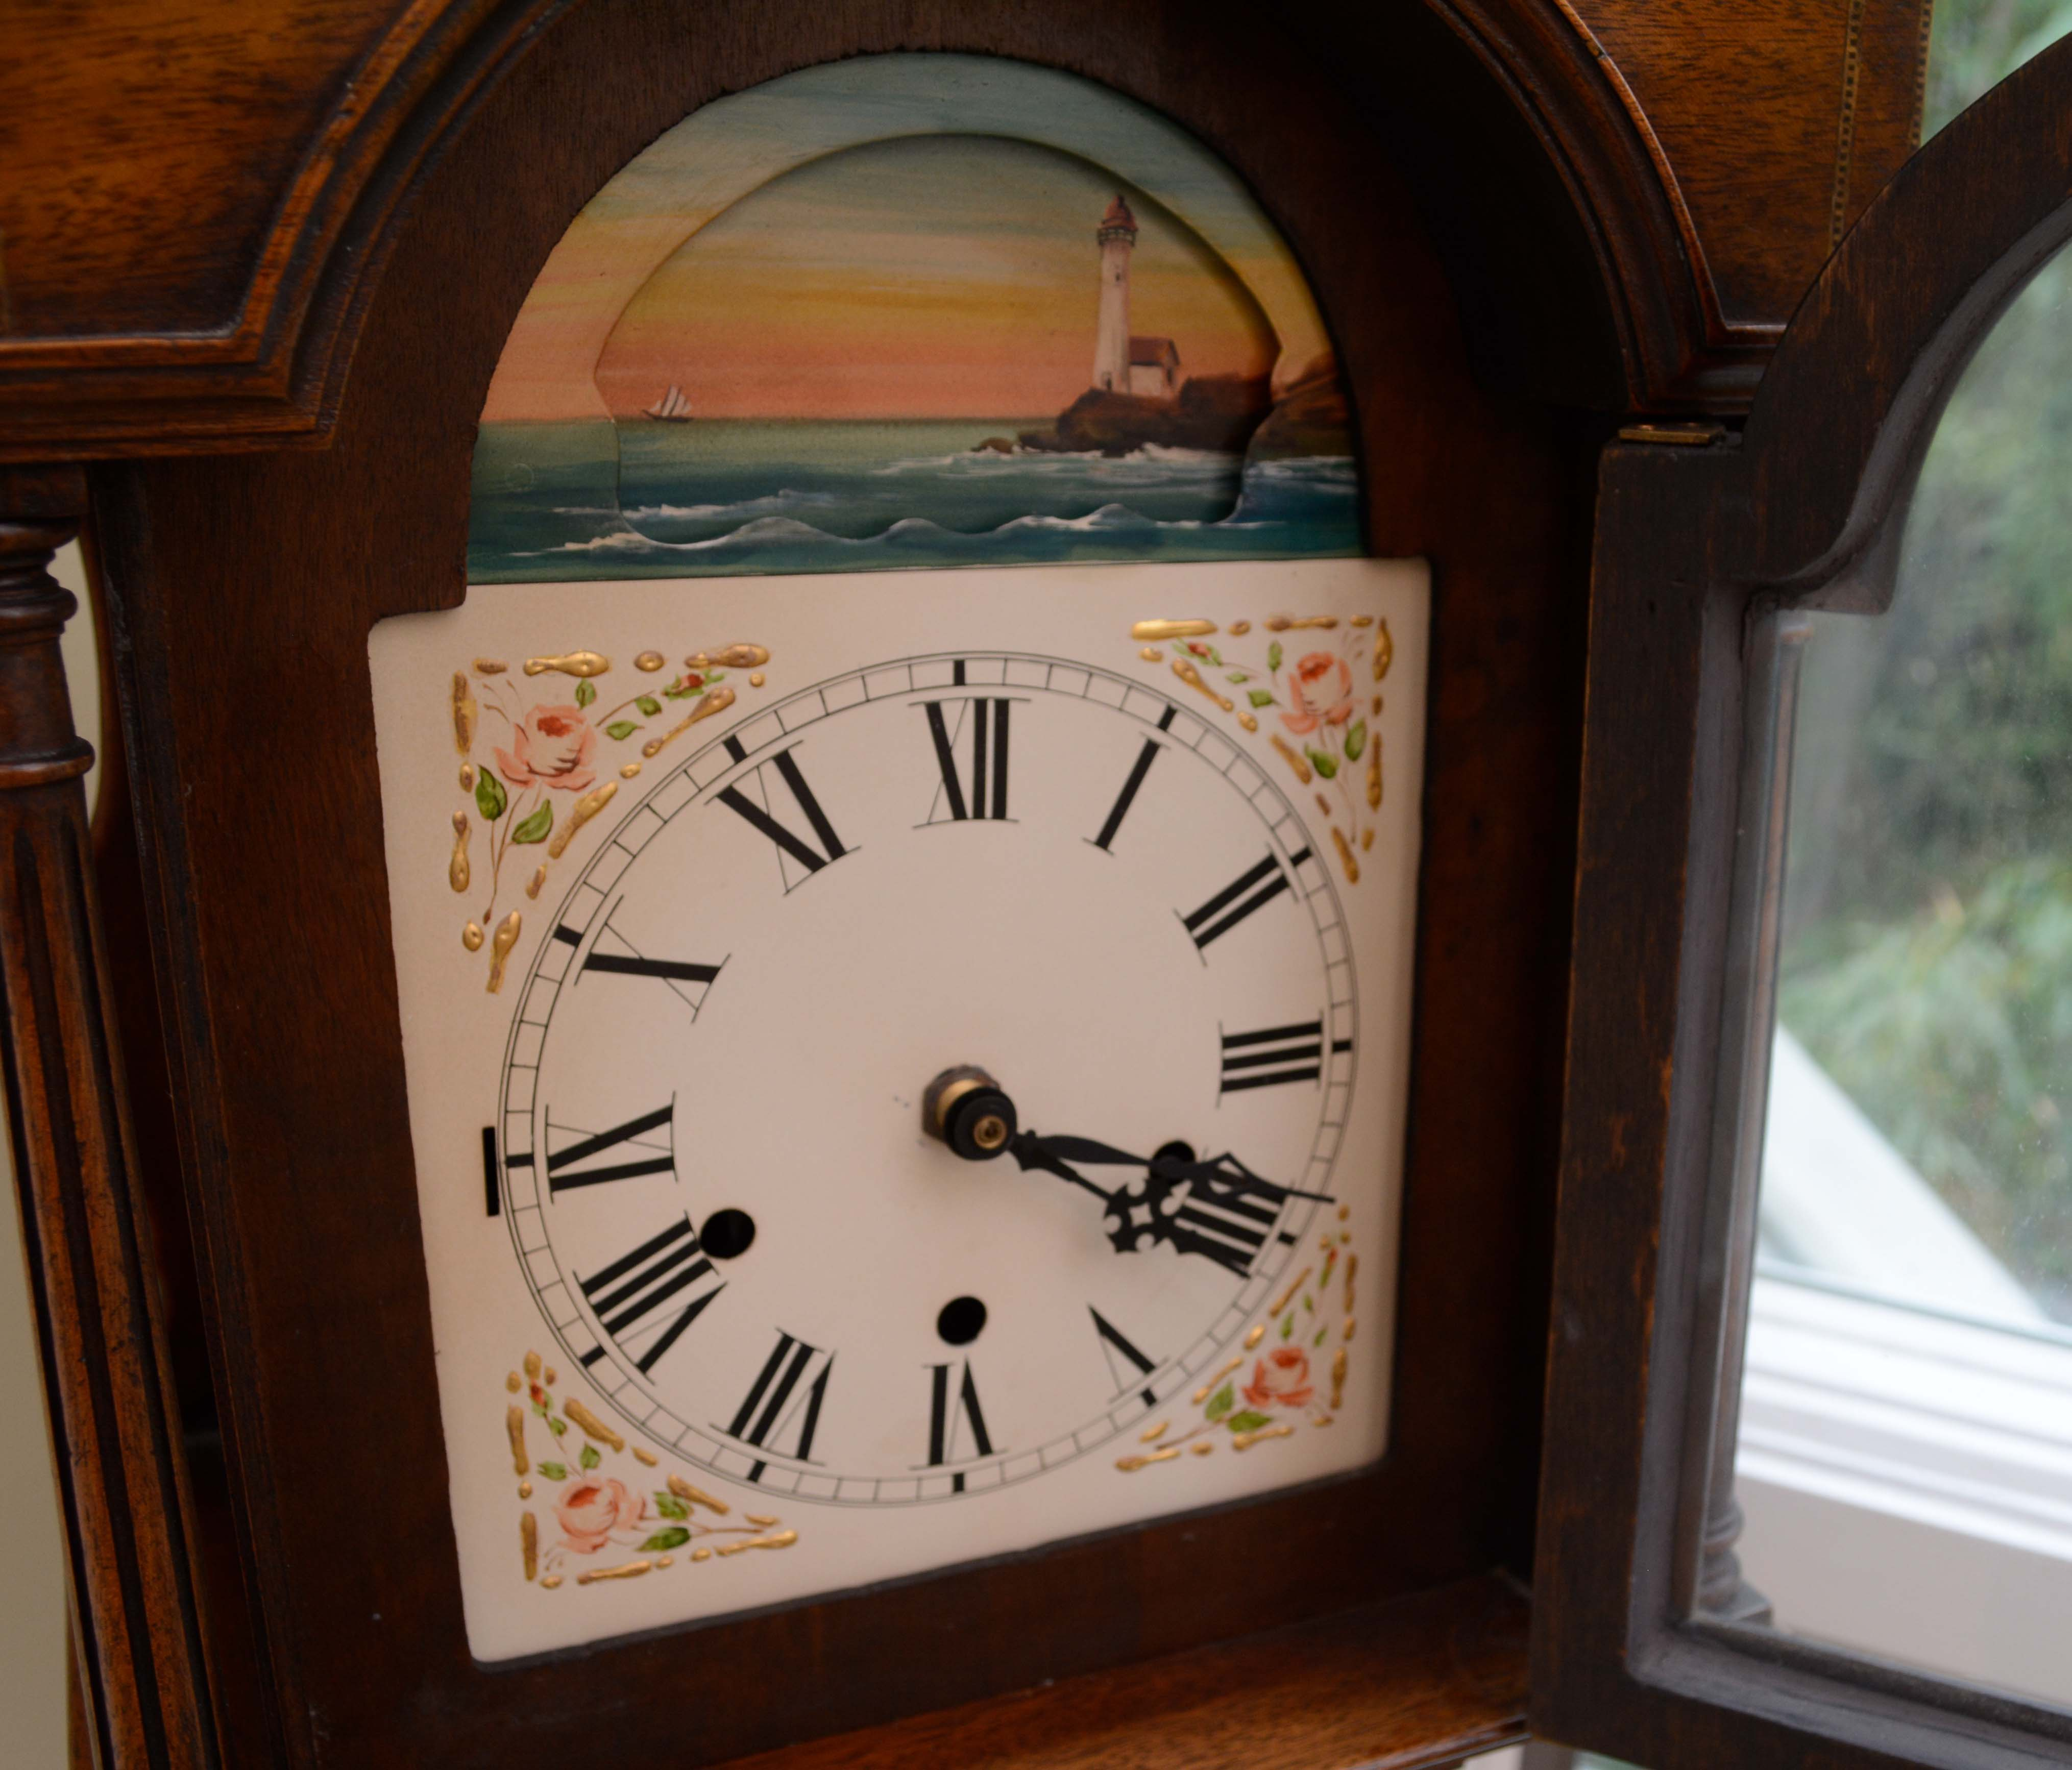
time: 4:18
